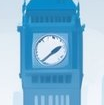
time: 1:37
